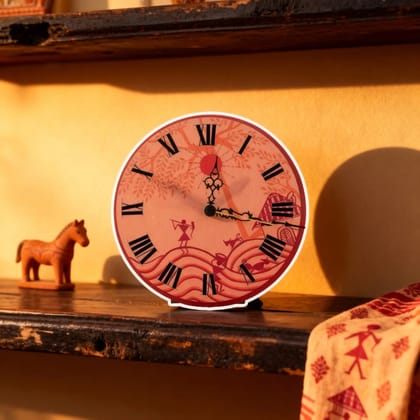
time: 12:16
